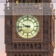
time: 9:43
